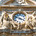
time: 3:48
